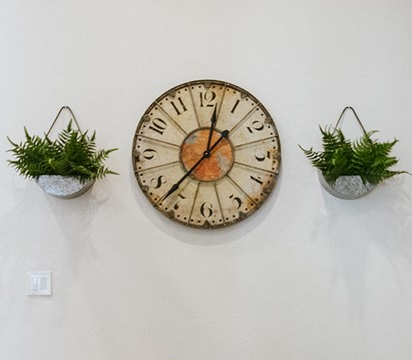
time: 12:37
